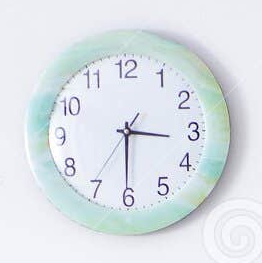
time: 3:30
